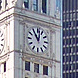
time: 11:02
